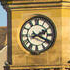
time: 2:19
